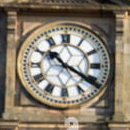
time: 10:20
